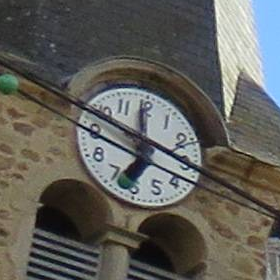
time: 11:48
